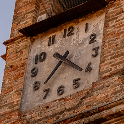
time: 7:21
